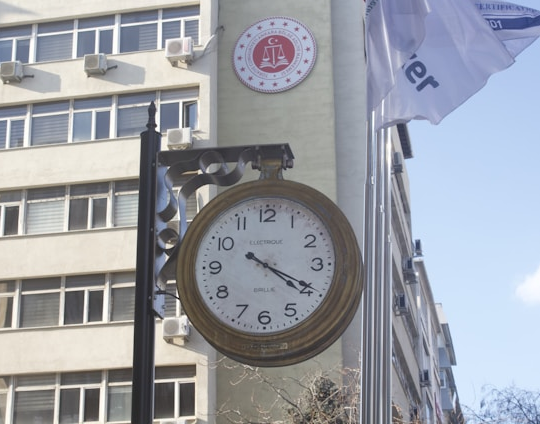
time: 4:19
